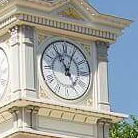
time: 11:04
